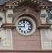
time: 11:44
